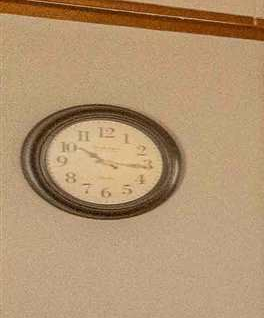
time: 10:15
